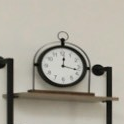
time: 12:17
